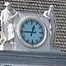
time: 12:45
